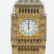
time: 12:00
